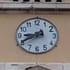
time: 8:40
